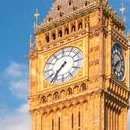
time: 7:37
